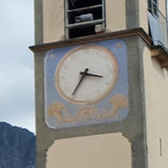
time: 3:35
